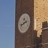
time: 10:41
